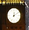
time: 12:09
